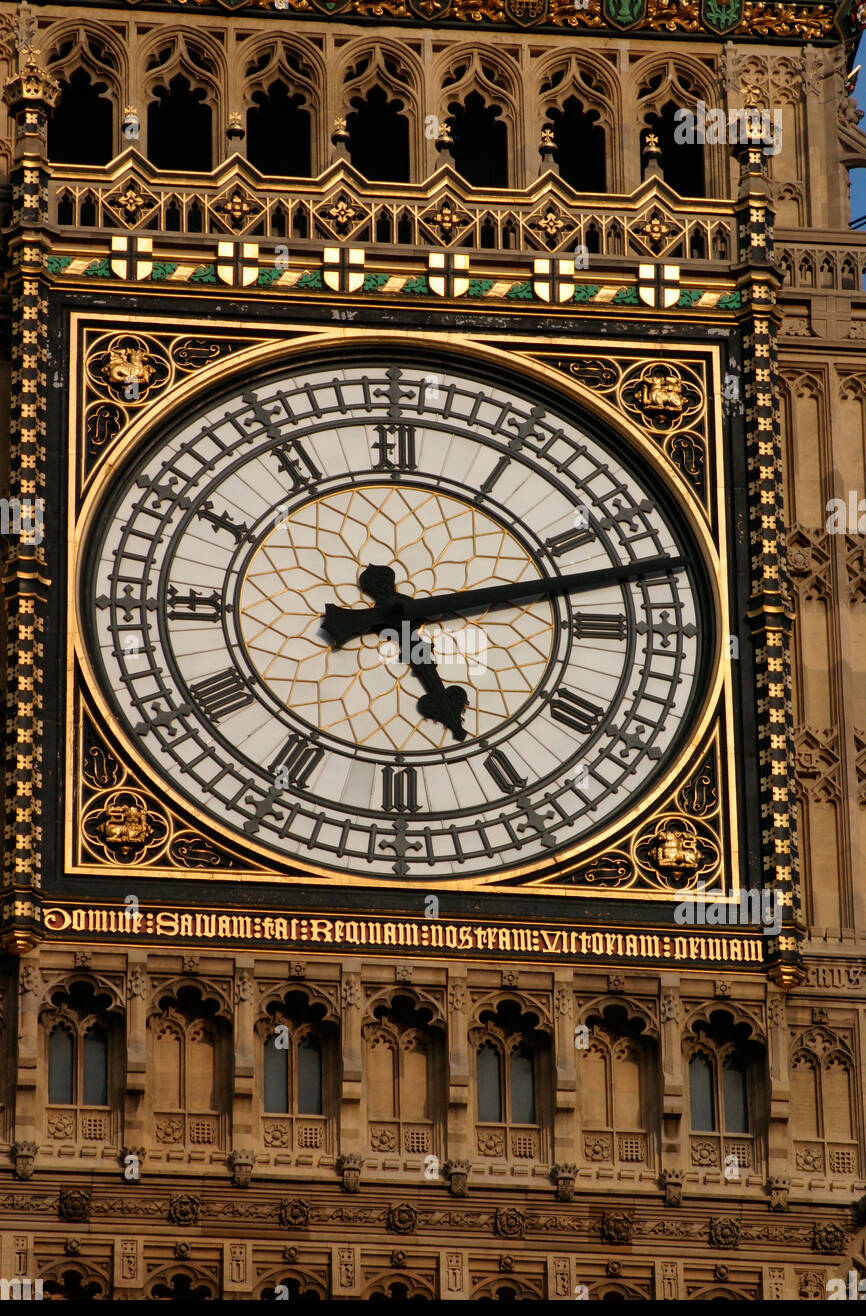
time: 5:12
